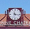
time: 11:16
